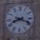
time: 8:18
